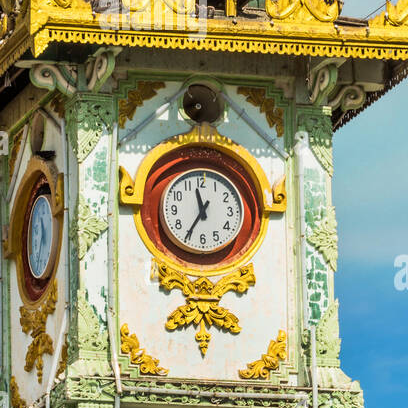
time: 11:35
